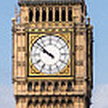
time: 9:51
